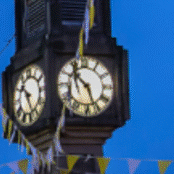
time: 10:26
